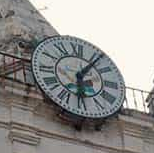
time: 6:06
